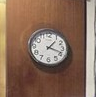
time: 1:18
